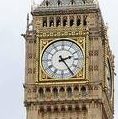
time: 2:24
